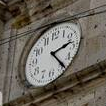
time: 2:23
